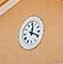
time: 12:18
